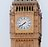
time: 7:38
